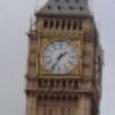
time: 1:34
